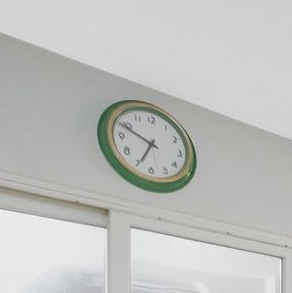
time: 6:49
